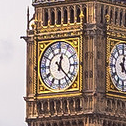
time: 12:22
